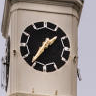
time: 1:36
